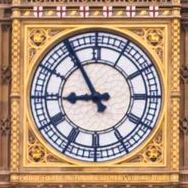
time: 8:54
